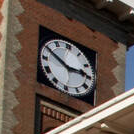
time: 2:49
